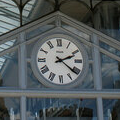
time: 2:21
